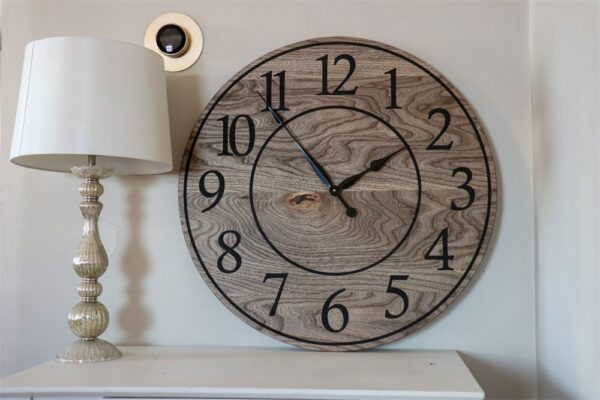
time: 1:53
